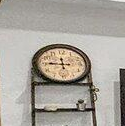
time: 11:46
